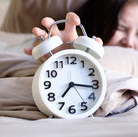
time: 7:16
